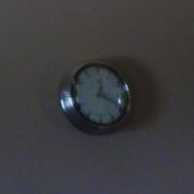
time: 12:19
